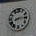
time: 8:14
